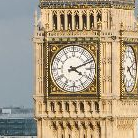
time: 4:11
